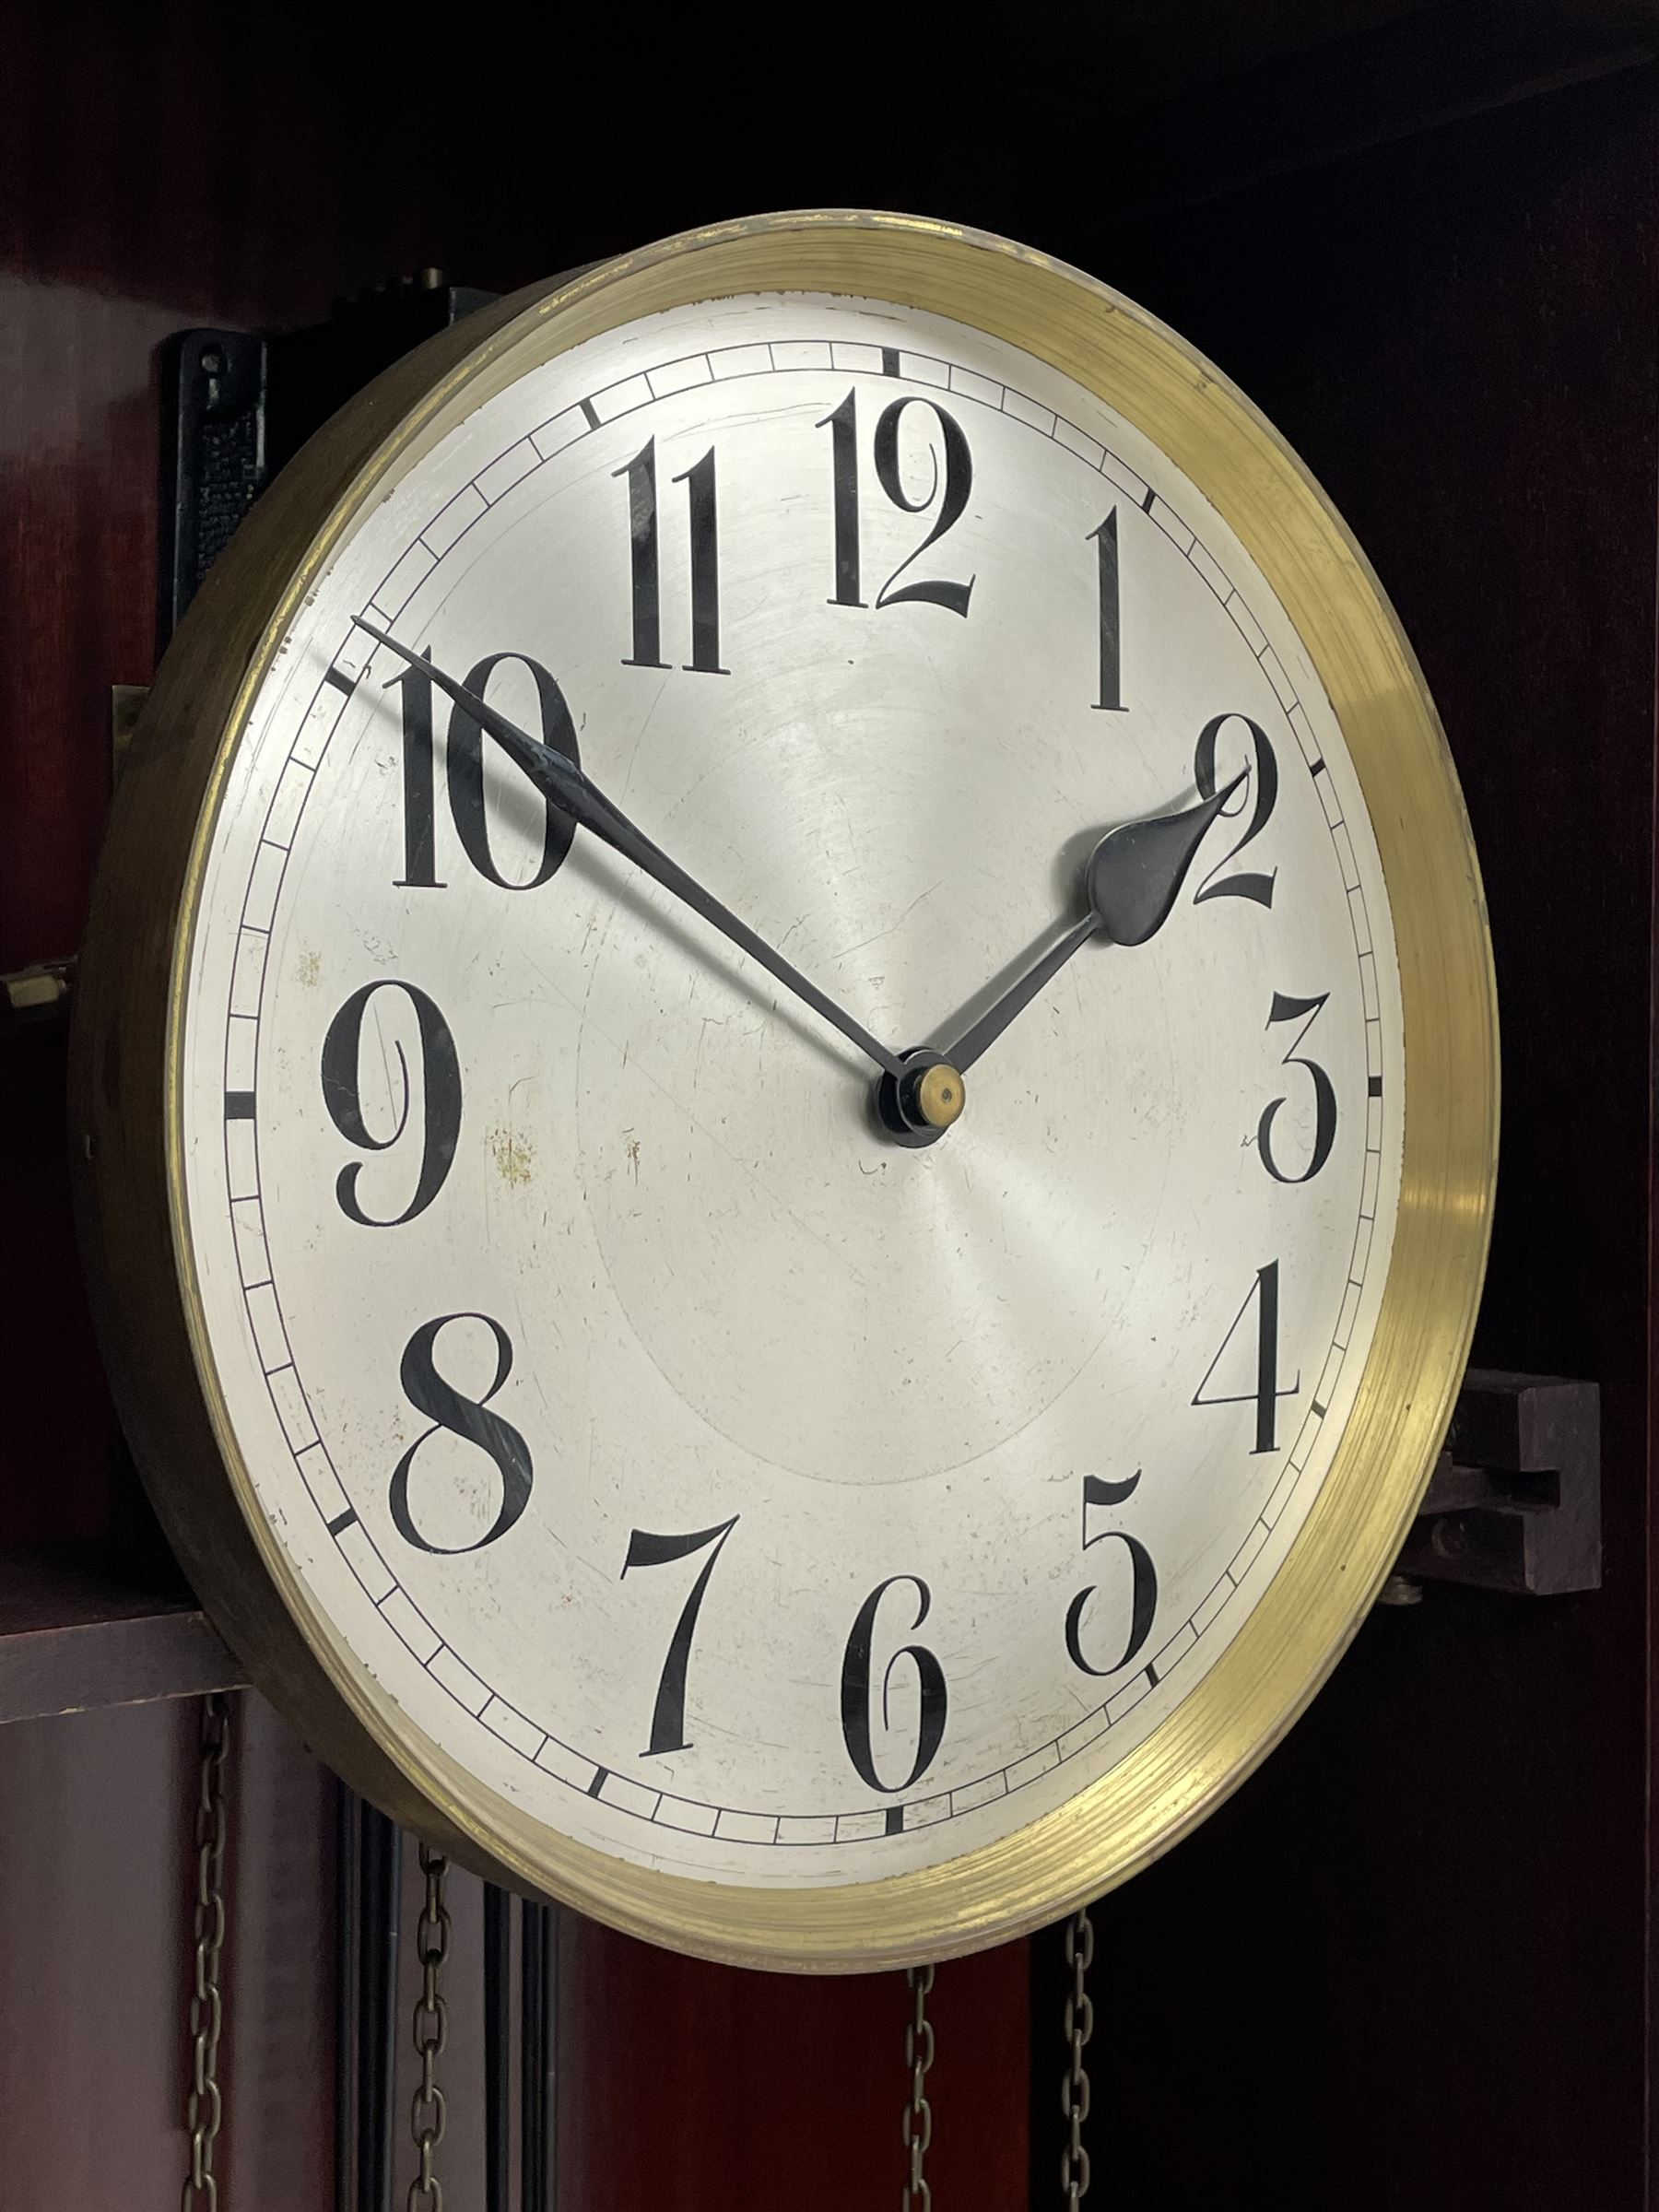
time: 1:50
